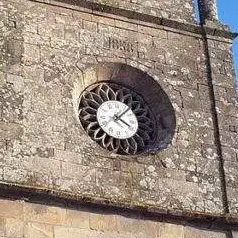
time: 4:07
